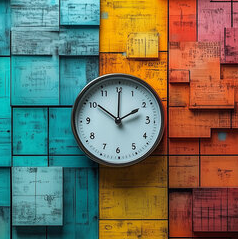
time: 2:00
